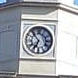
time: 6:53
